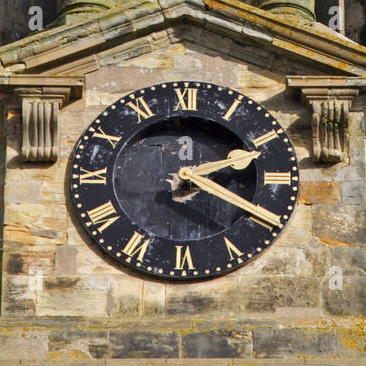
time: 2:19
